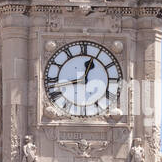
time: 12:42
